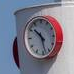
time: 10:28
